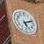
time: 5:11
